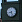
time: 8:26
